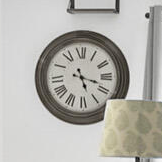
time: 5:18
